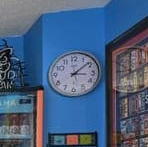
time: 3:08
